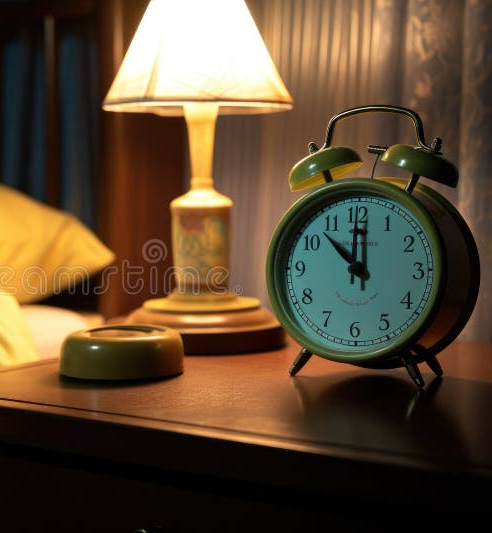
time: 11:52
